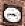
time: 3:43
